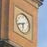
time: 6:41
